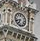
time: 6:41
